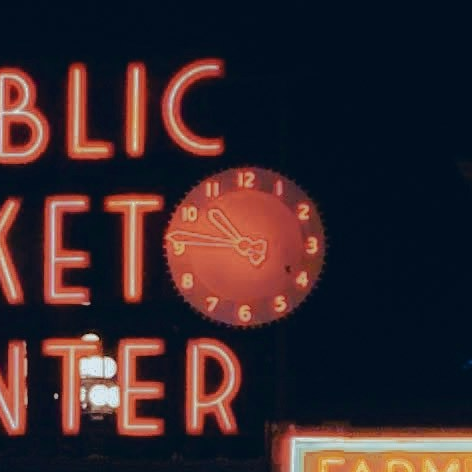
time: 10:45
